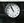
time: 10:56
